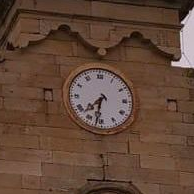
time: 7:32
